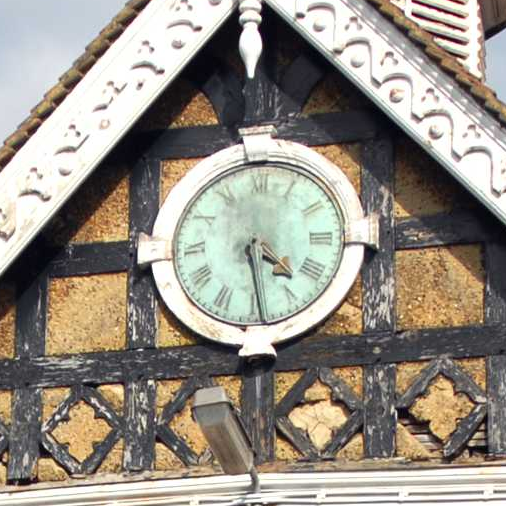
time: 4:28
